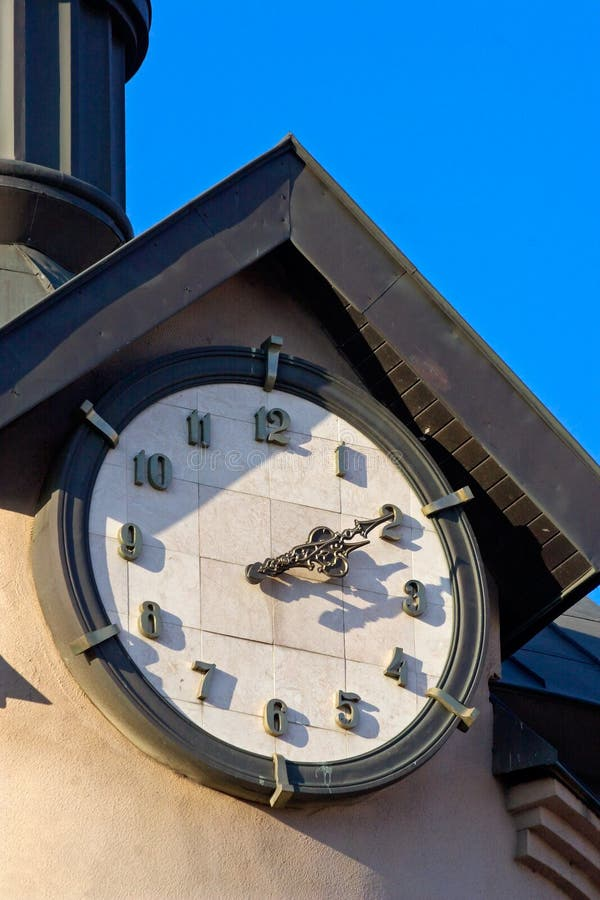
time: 3:09
